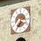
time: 7:17
